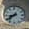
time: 8:38
